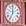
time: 6:59
